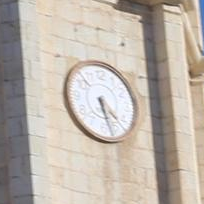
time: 4:27
